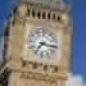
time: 7:15
